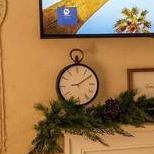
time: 9:09
